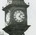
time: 1:22
